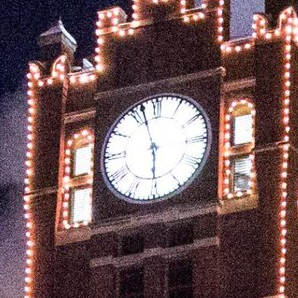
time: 5:57
